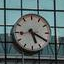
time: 5:19
